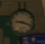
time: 9:18
